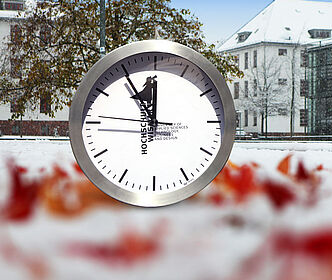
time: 11:54
